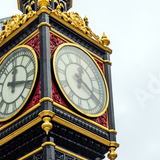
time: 12:19
